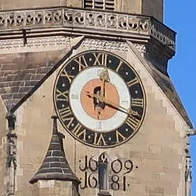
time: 12:18
